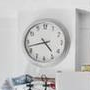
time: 4:42
